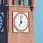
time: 7:00
